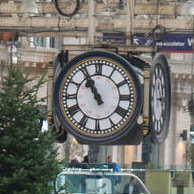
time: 10:55
